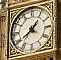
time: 1:39
